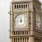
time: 11:44
